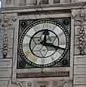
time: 12:18
